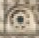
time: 8:27
